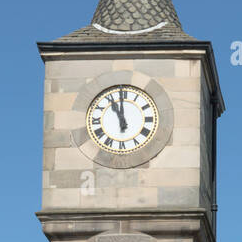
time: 10:59
